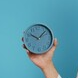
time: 10:07
